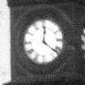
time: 12:21
